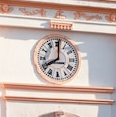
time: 8:00
